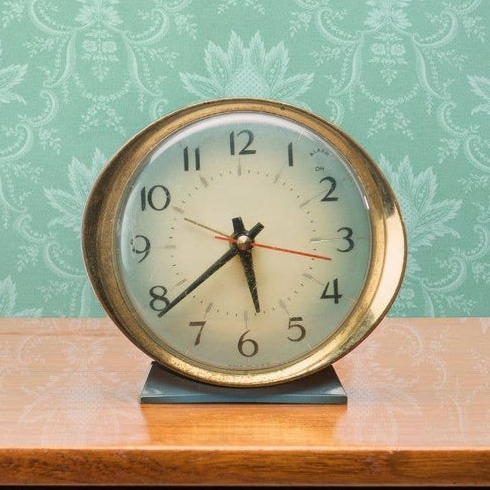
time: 5:38
